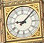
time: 9:07
